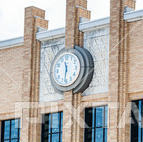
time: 11:31
